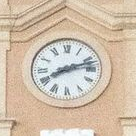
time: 8:12
